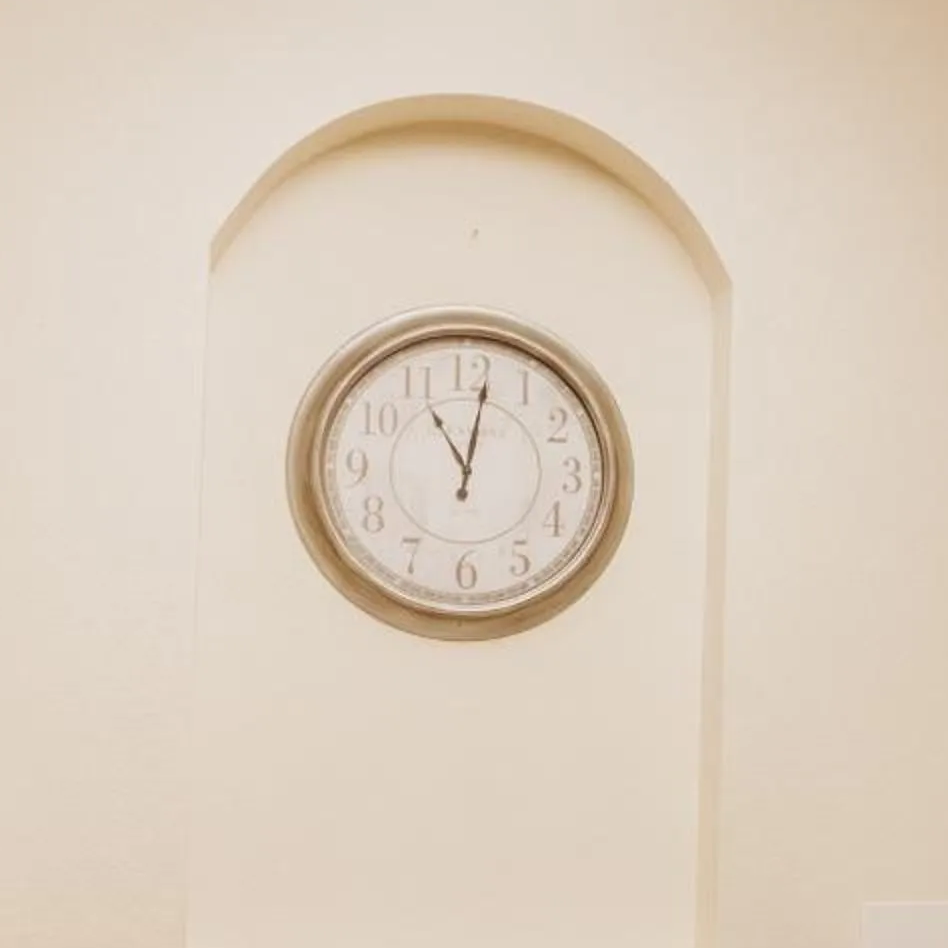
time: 11:01
